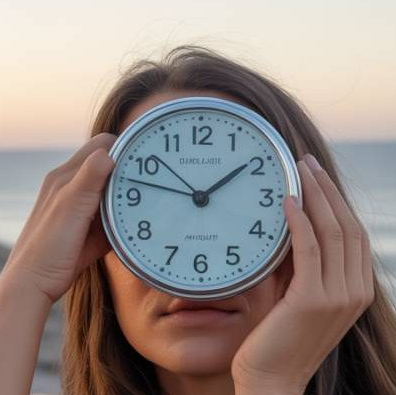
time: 1:47
